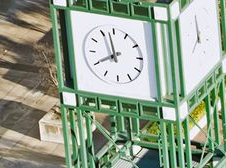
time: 7:58
